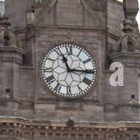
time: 11:15
